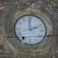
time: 1:59
